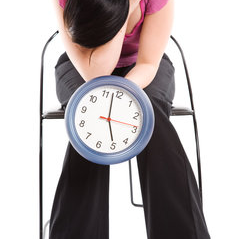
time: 4:58
